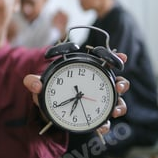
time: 6:39
